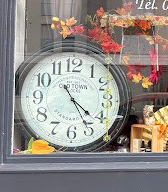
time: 4:25
